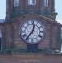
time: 12:36
